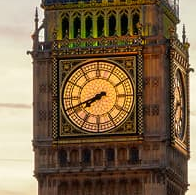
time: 7:41
